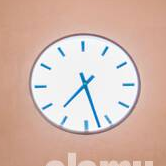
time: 7:27
